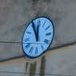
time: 11:55
